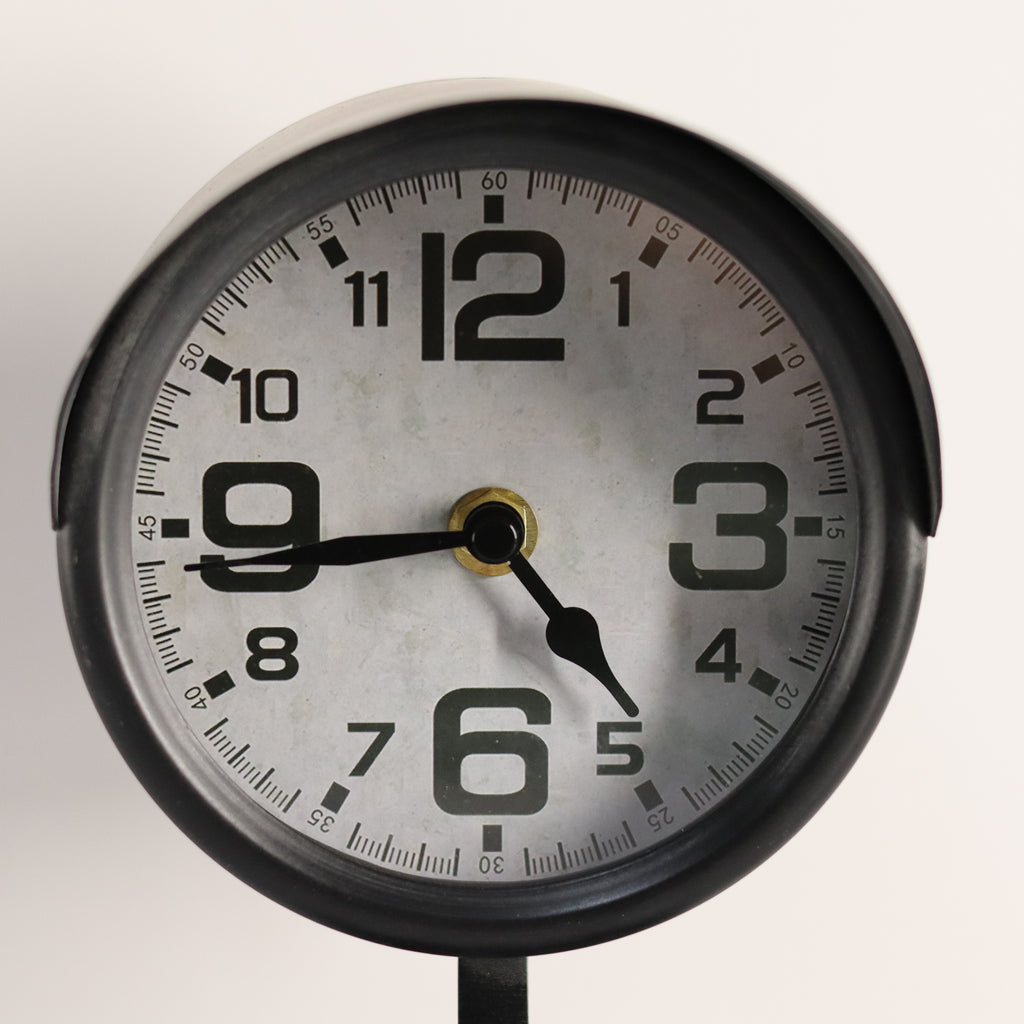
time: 4:43
